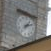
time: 1:11
